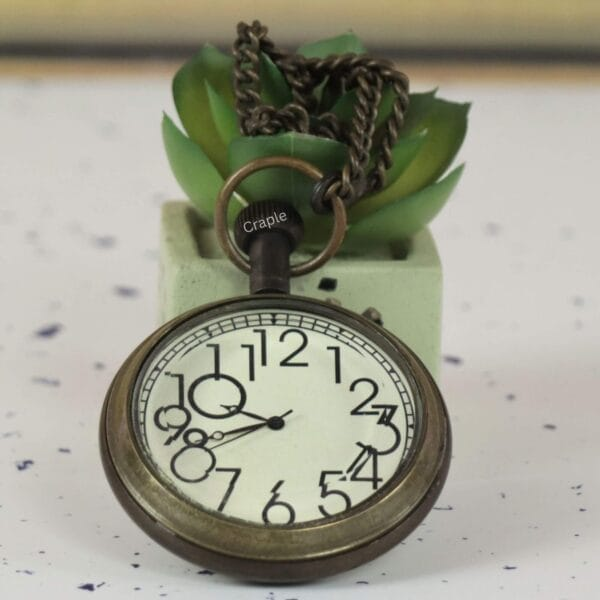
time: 9:41
